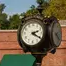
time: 2:20
